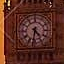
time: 4:32
